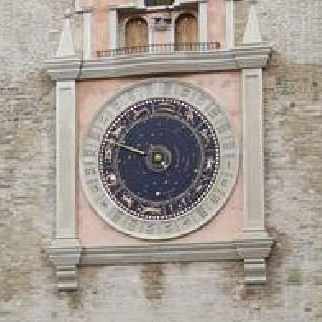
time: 9:48
